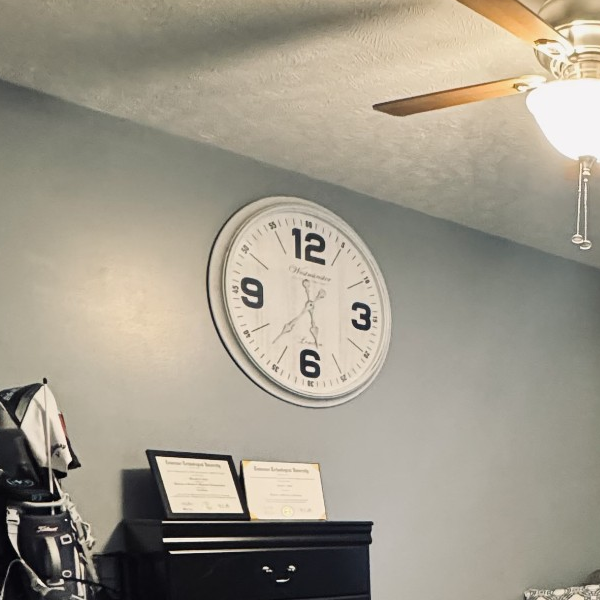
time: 5:36
